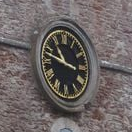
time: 10:47
